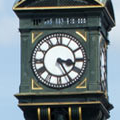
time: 3:25
